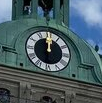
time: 12:00
